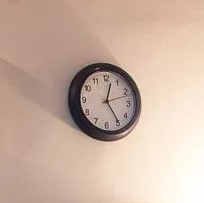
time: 12:24
